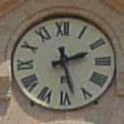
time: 2:27
